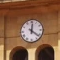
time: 12:21
